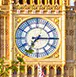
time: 7:15
